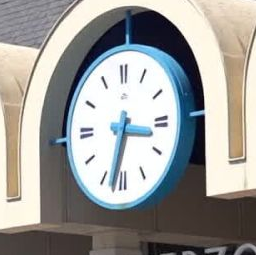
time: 3:32
